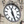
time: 11:25
